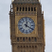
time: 12:20
